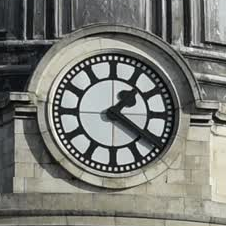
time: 1:20
